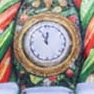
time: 11:55
